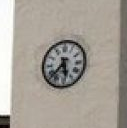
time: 5:37
